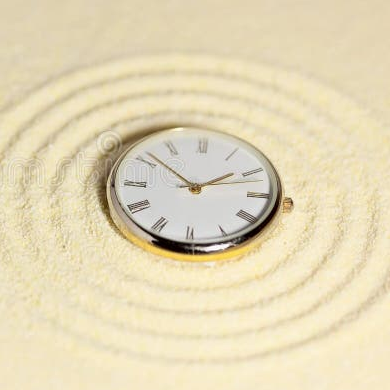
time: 1:51
